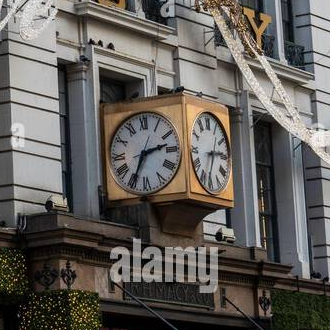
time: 2:34
